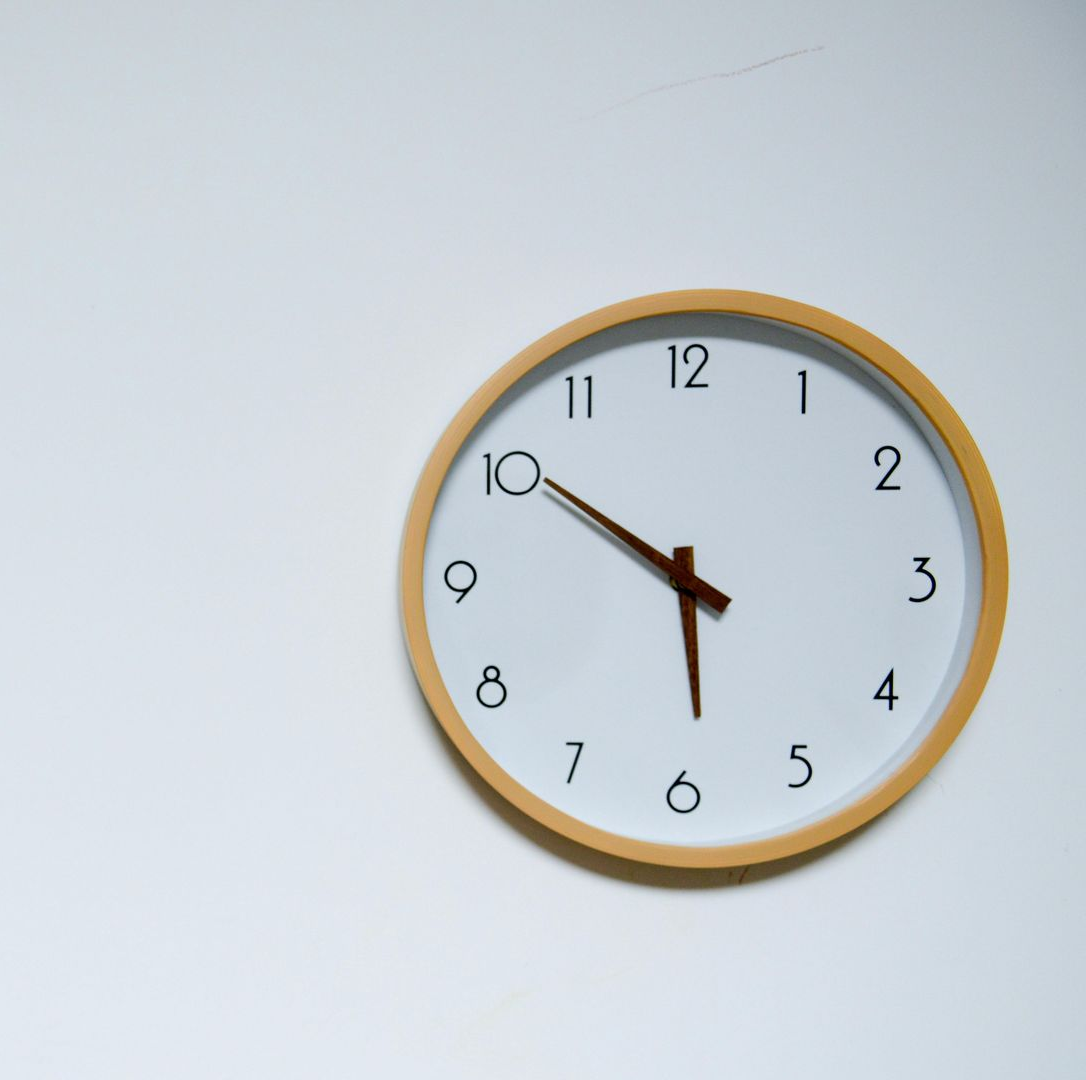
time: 5:50
